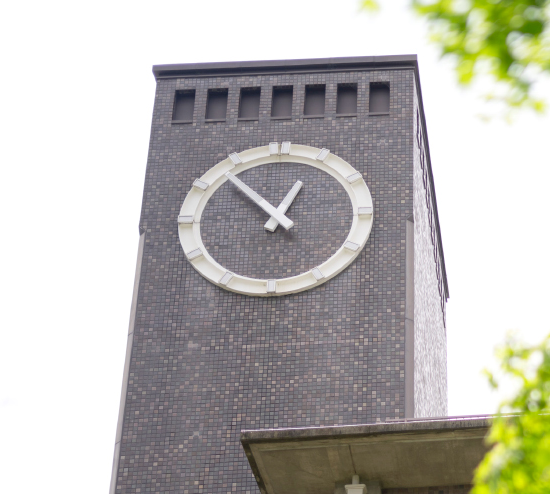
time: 12:52
